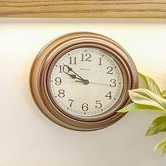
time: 9:51
